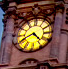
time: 4:40
